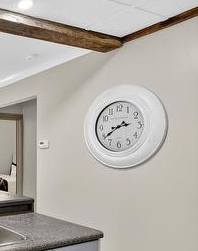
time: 2:40
